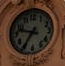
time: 9:35
